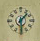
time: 1:30
